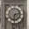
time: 6:13
